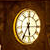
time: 5:35
